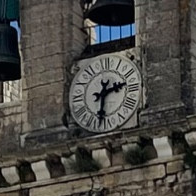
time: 2:31
